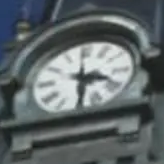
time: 3:29
